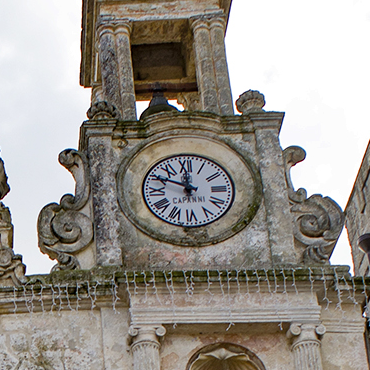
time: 11:49
